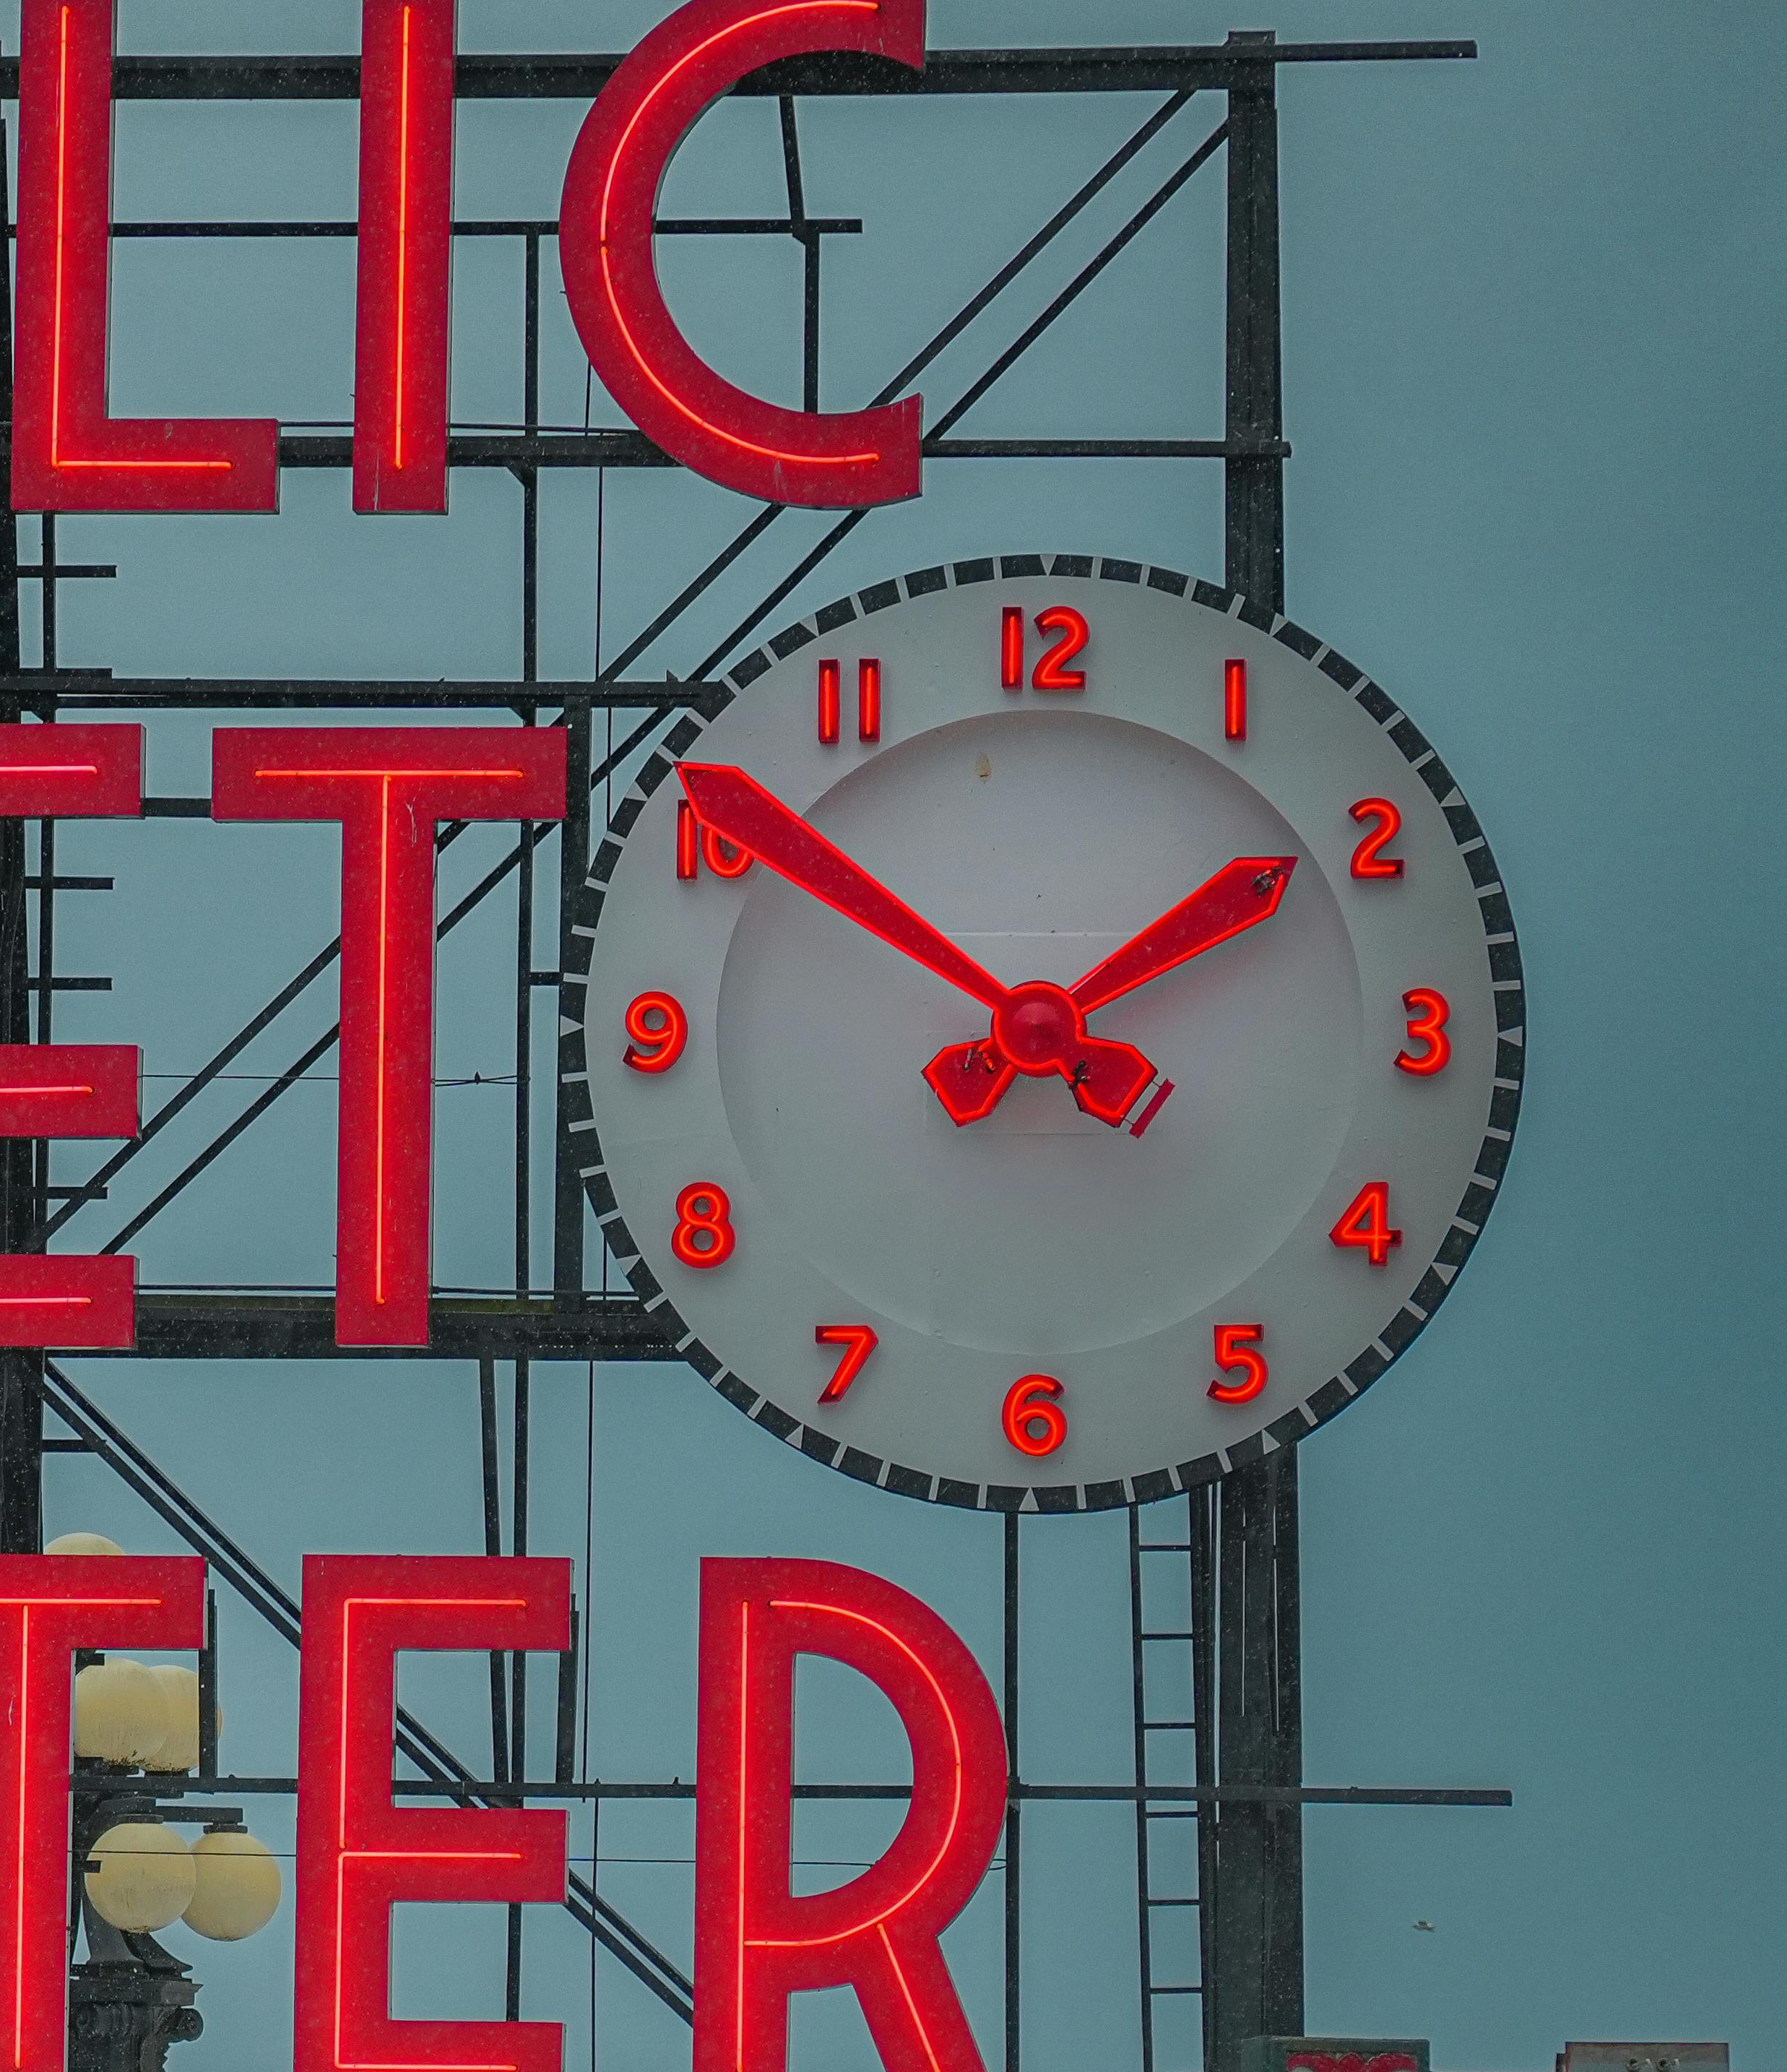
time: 1:50
